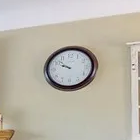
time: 9:51
